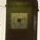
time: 5:12
